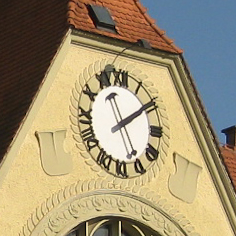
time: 1:56
